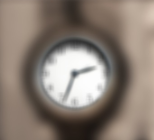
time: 2:33
